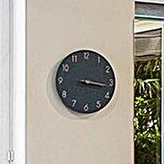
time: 3:16
